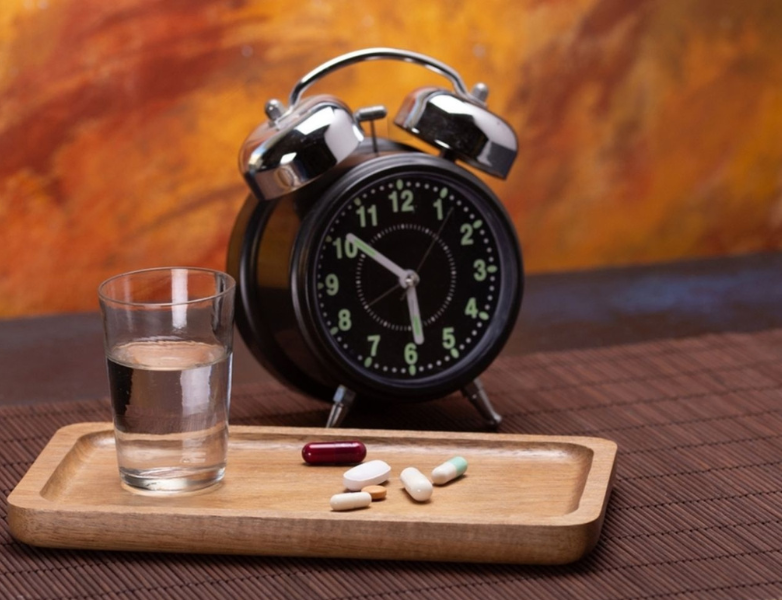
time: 5:51
